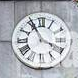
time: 3:55
